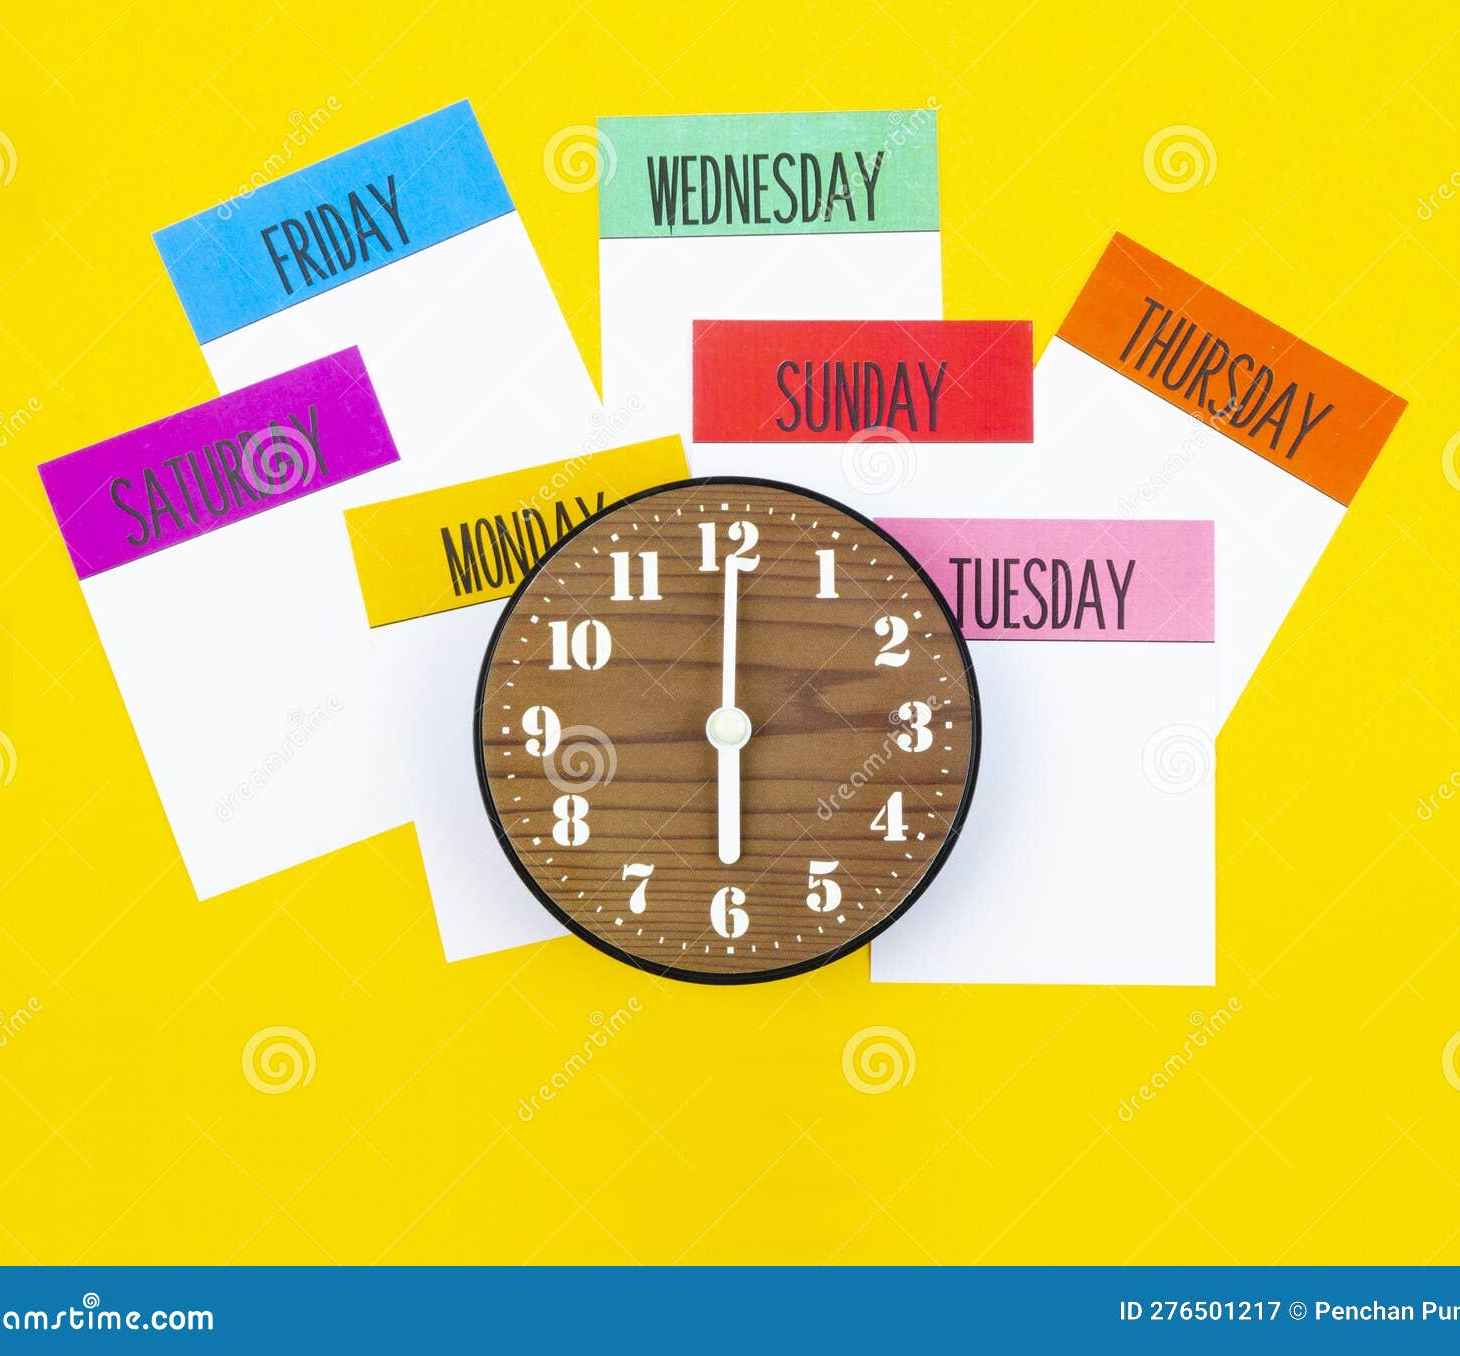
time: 6:00
